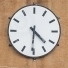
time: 4:30
